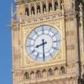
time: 8:30
